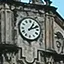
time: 1:11
